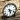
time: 5:18
